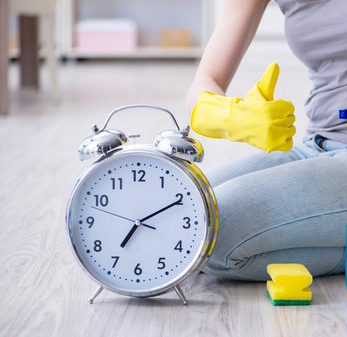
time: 7:10
